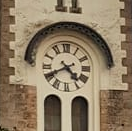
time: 4:40
